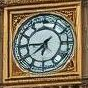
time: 7:45
